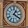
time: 1:20
